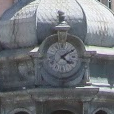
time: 4:09
